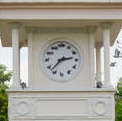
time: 2:37
